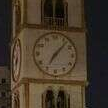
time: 7:07
